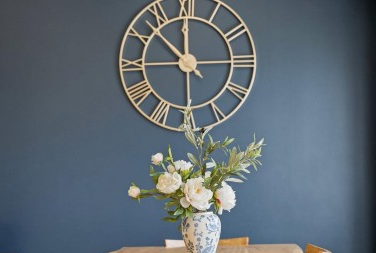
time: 11:52
